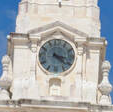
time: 3:21
